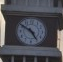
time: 4:50
